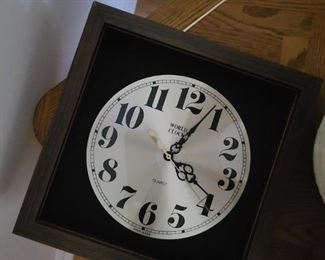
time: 4:03
